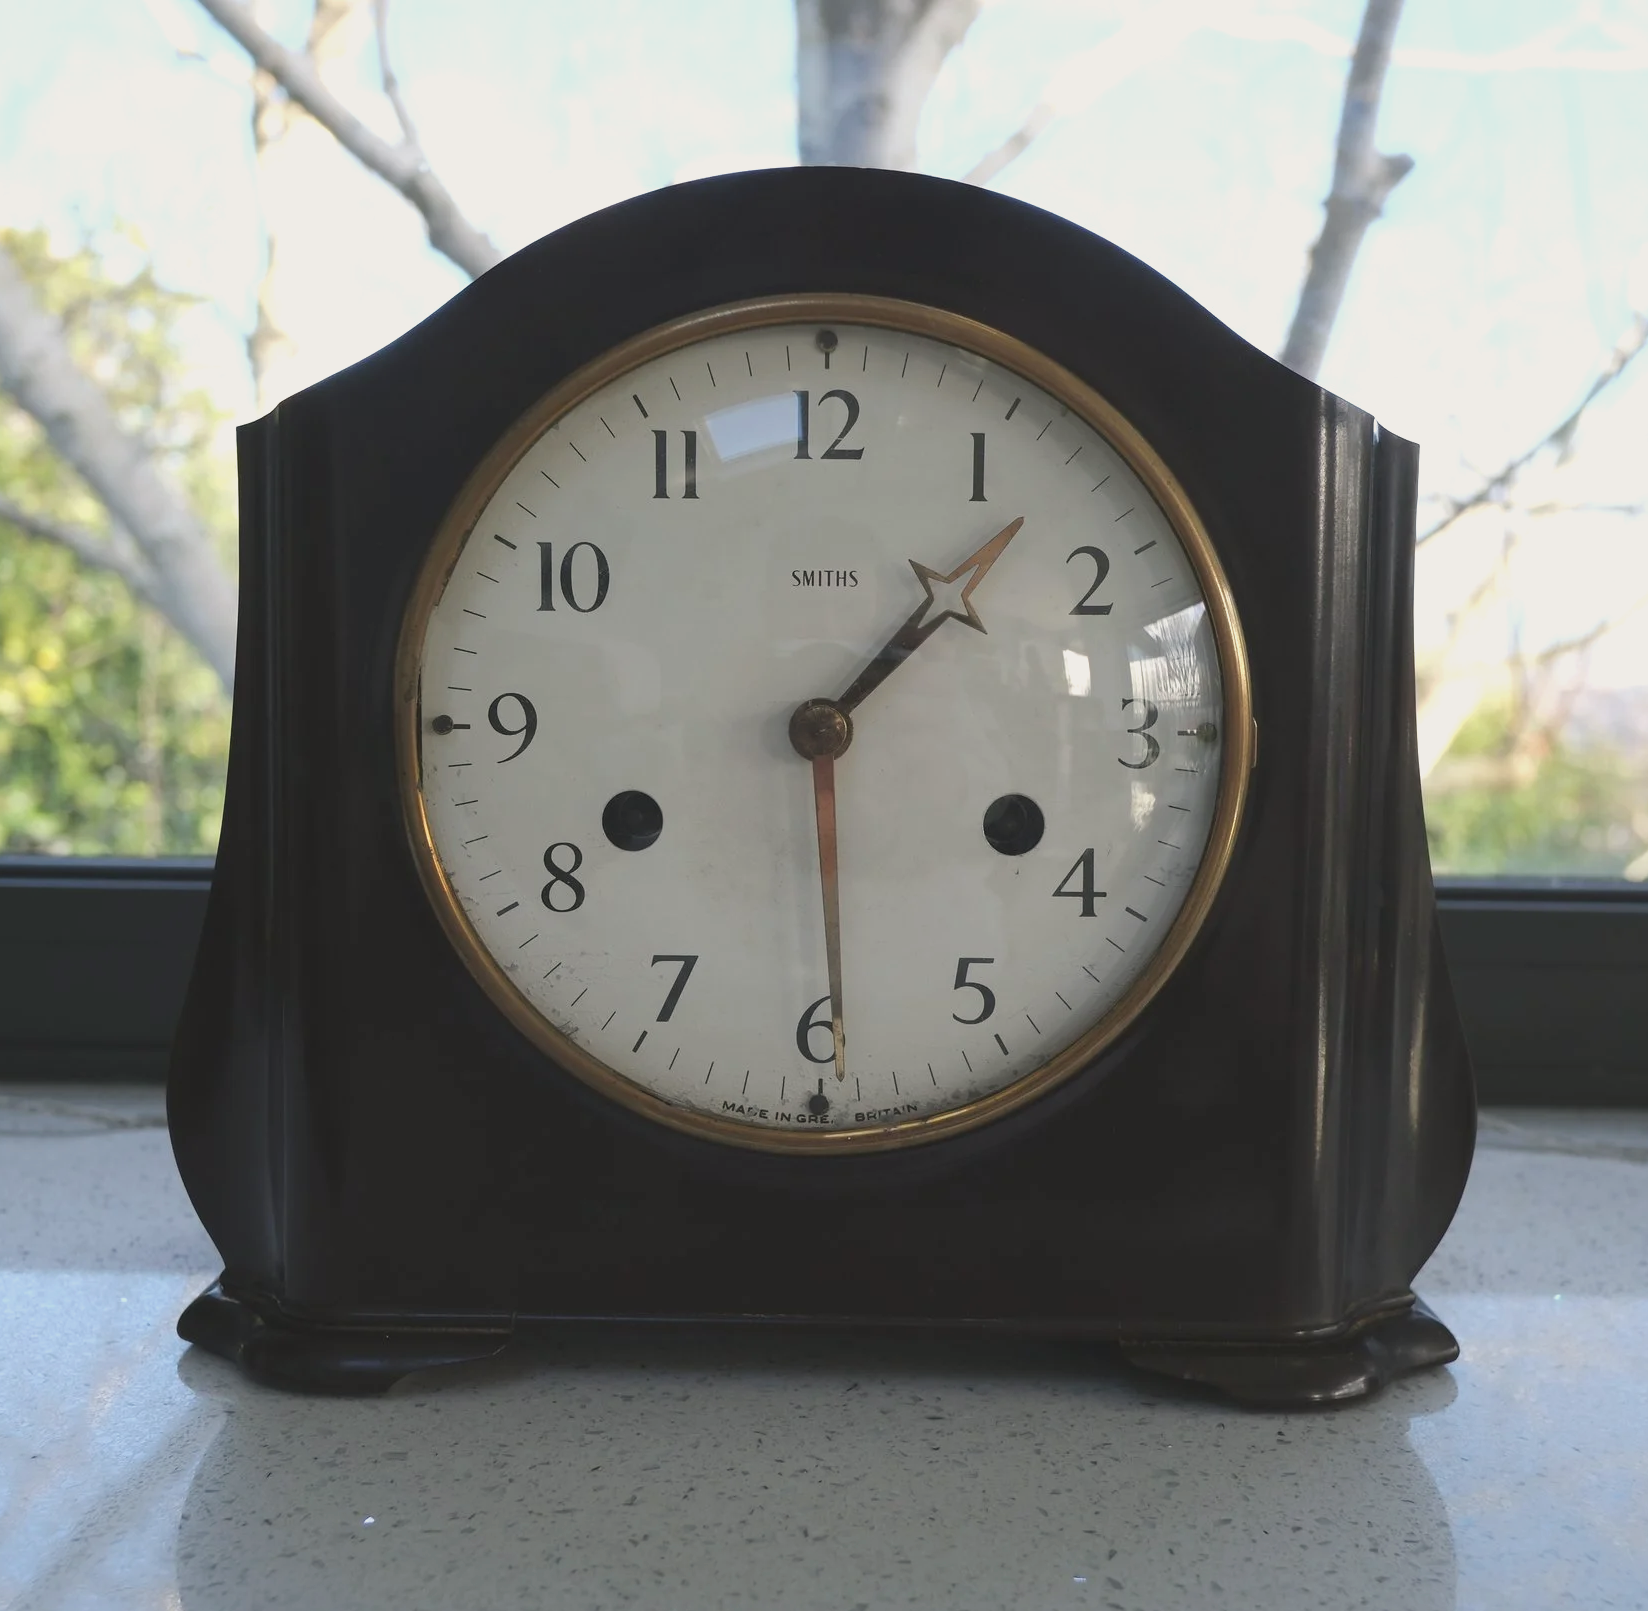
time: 1:29
